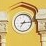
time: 7:14
